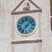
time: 7:07
